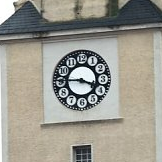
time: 3:45
